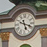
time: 5:18
